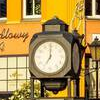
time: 7:00
